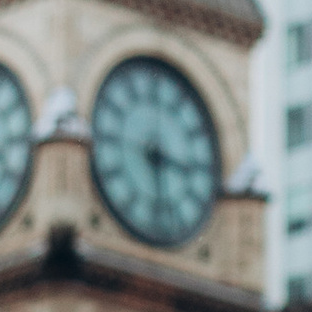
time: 3:28
